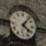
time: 4:06
